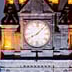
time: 8:07
